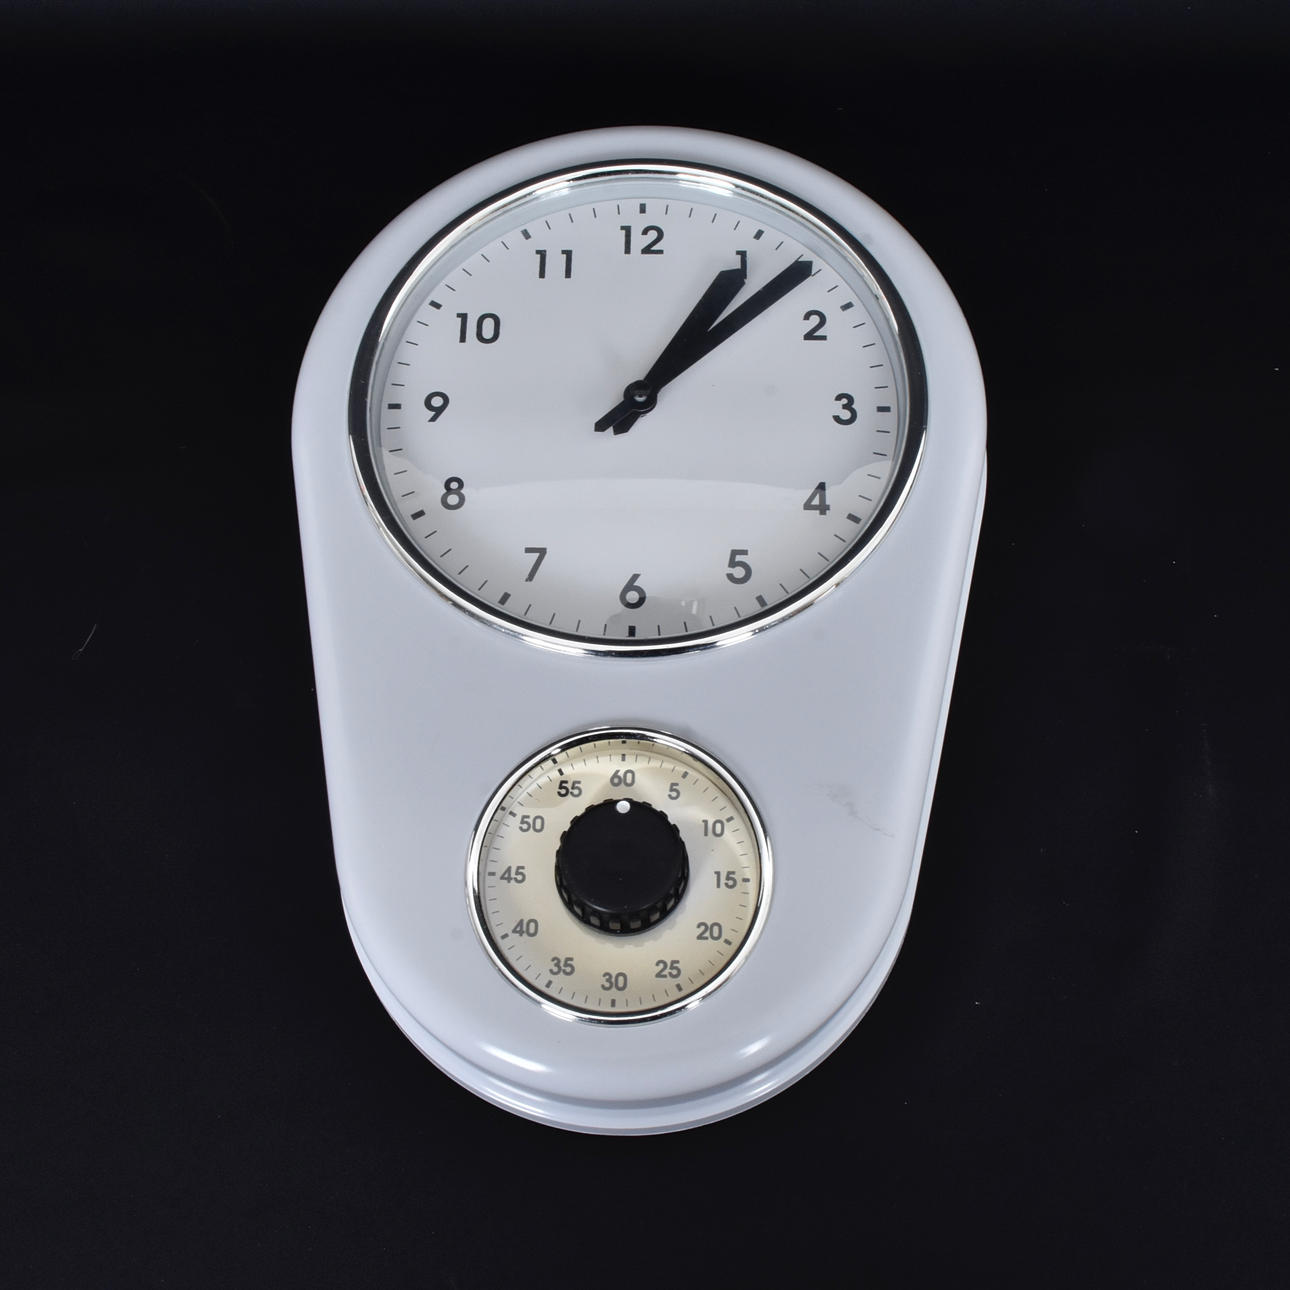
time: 1:07
